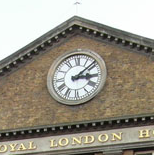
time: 3:08
